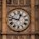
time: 12:47
